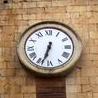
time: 6:33
